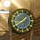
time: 1:39
